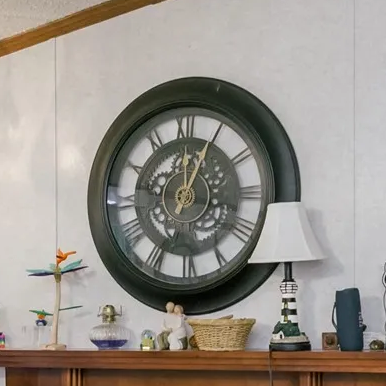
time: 12:04
